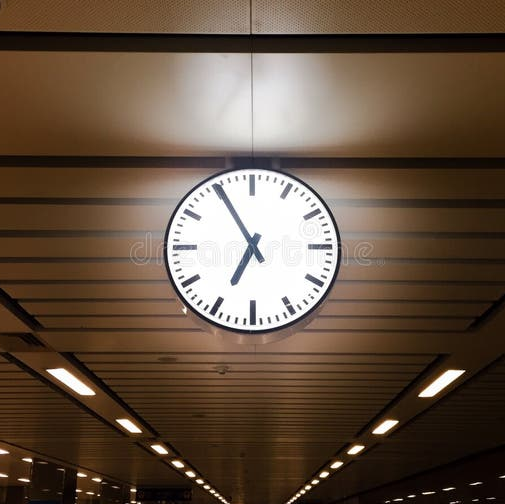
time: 6:55
